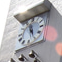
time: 11:55
